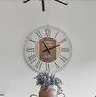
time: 11:11
